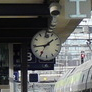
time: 1:43
